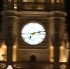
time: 7:12
